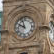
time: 9:57
